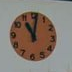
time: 11:01
